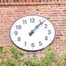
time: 1:06
